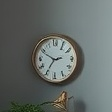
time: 2:35
